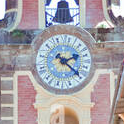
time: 2:19
